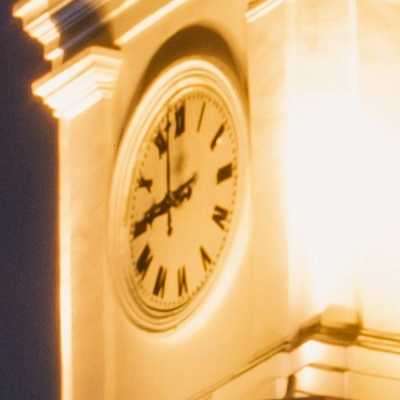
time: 11:44
